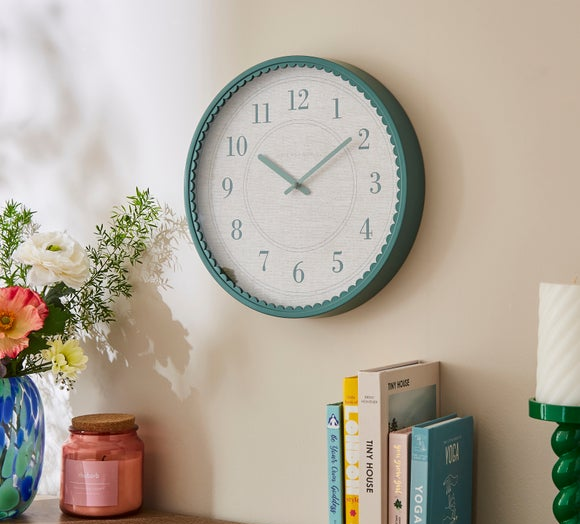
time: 10:09
